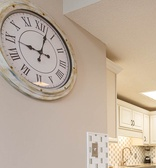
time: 9:02
